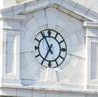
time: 6:55
